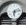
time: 6:13
